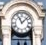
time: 11:07
